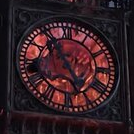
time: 4:54
